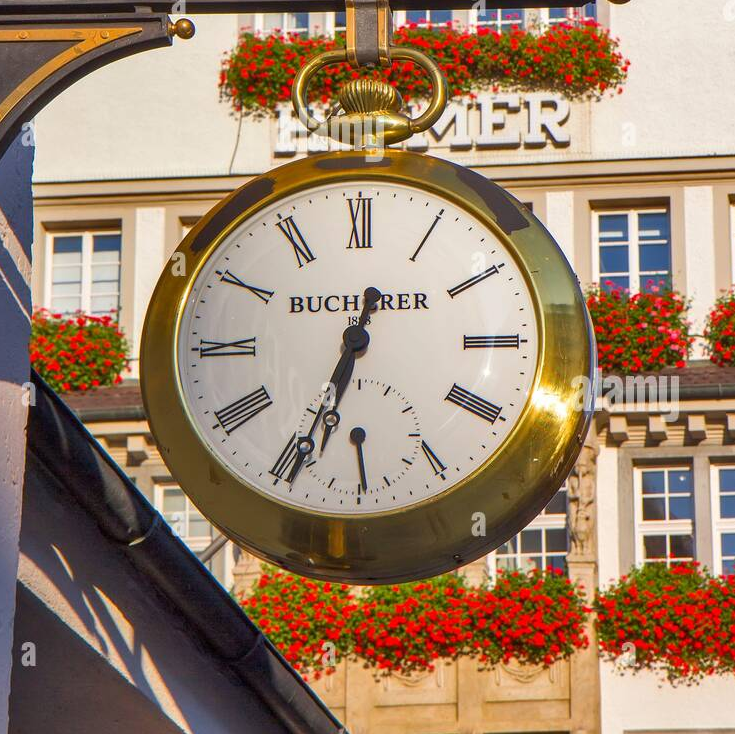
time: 12:33
